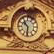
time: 10:31
